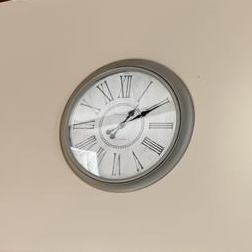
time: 1:10
